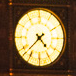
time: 4:37
